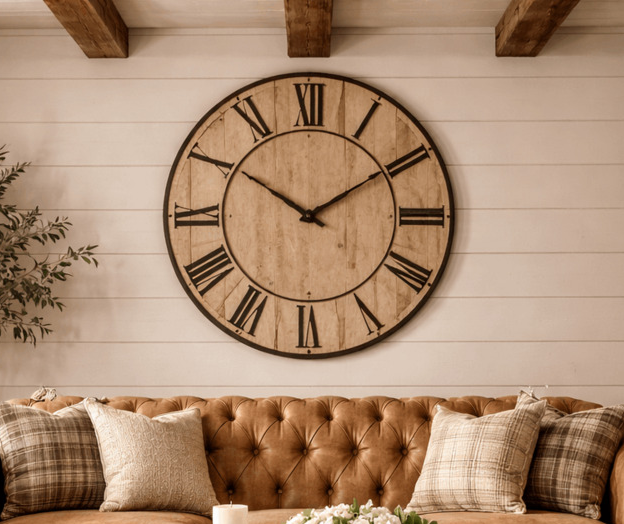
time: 10:09
